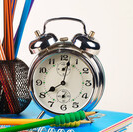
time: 8:02
